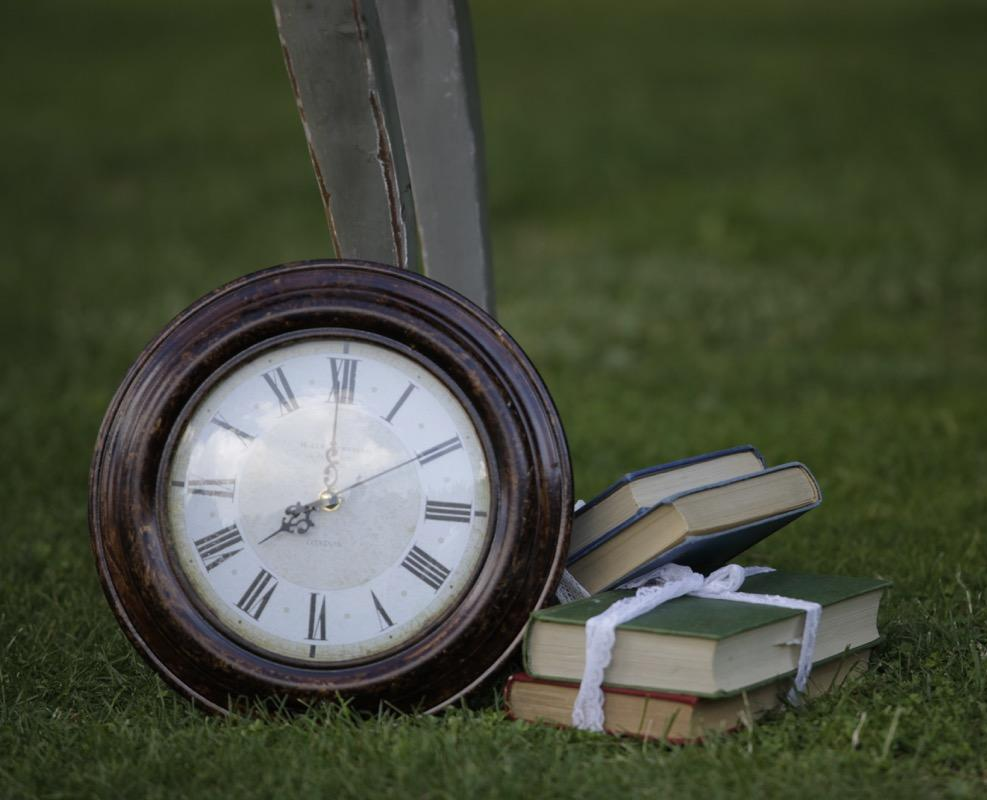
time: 8:00
